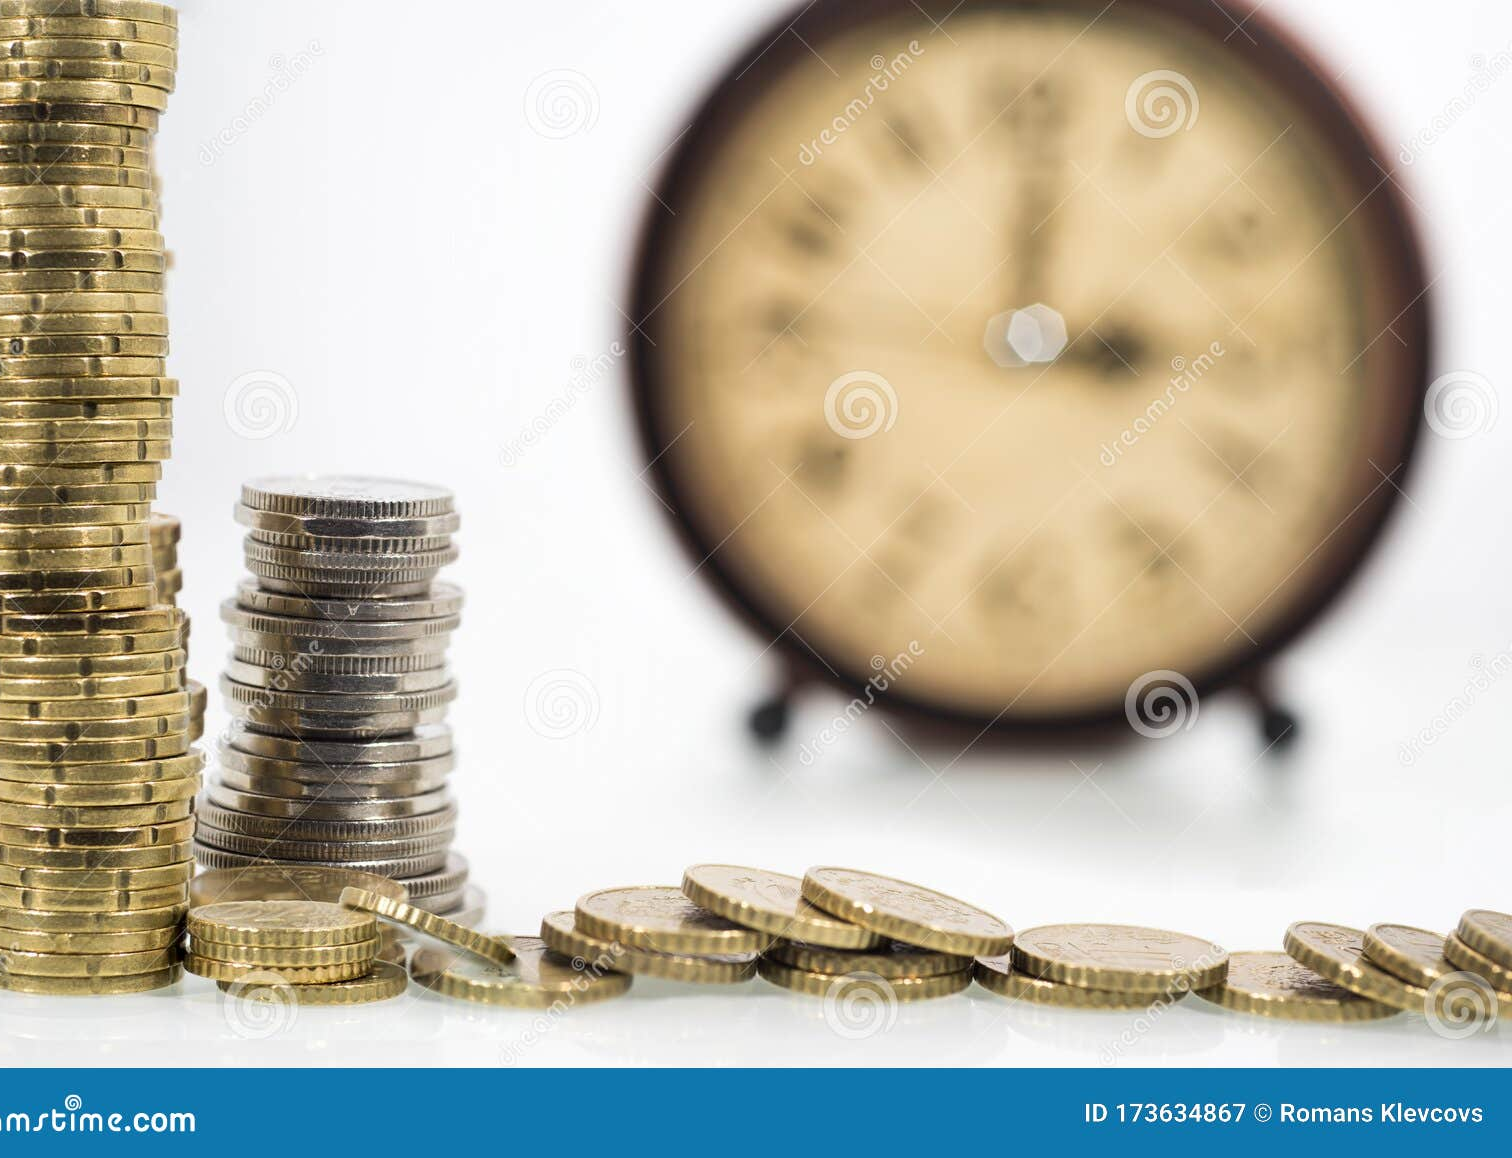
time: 3:00
